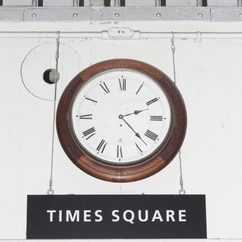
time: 2:22
